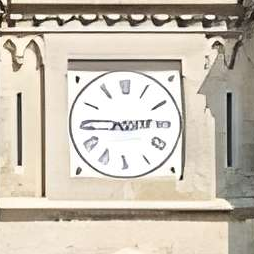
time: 2:45
